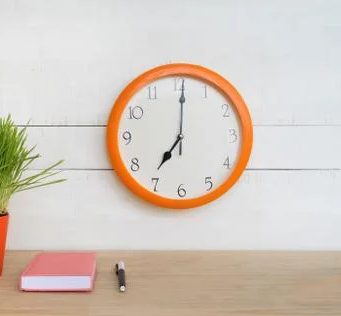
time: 7:00
